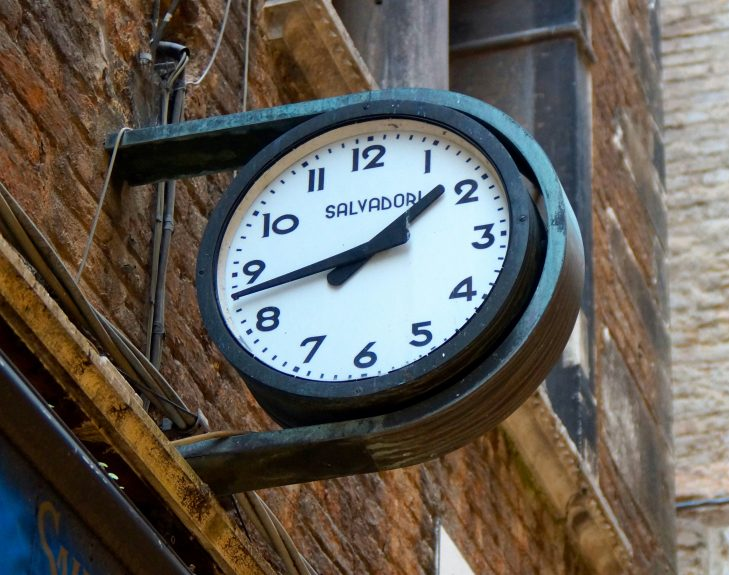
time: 1:42
